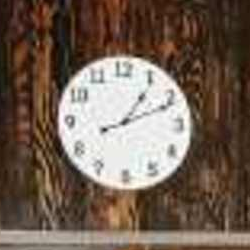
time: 1:11
